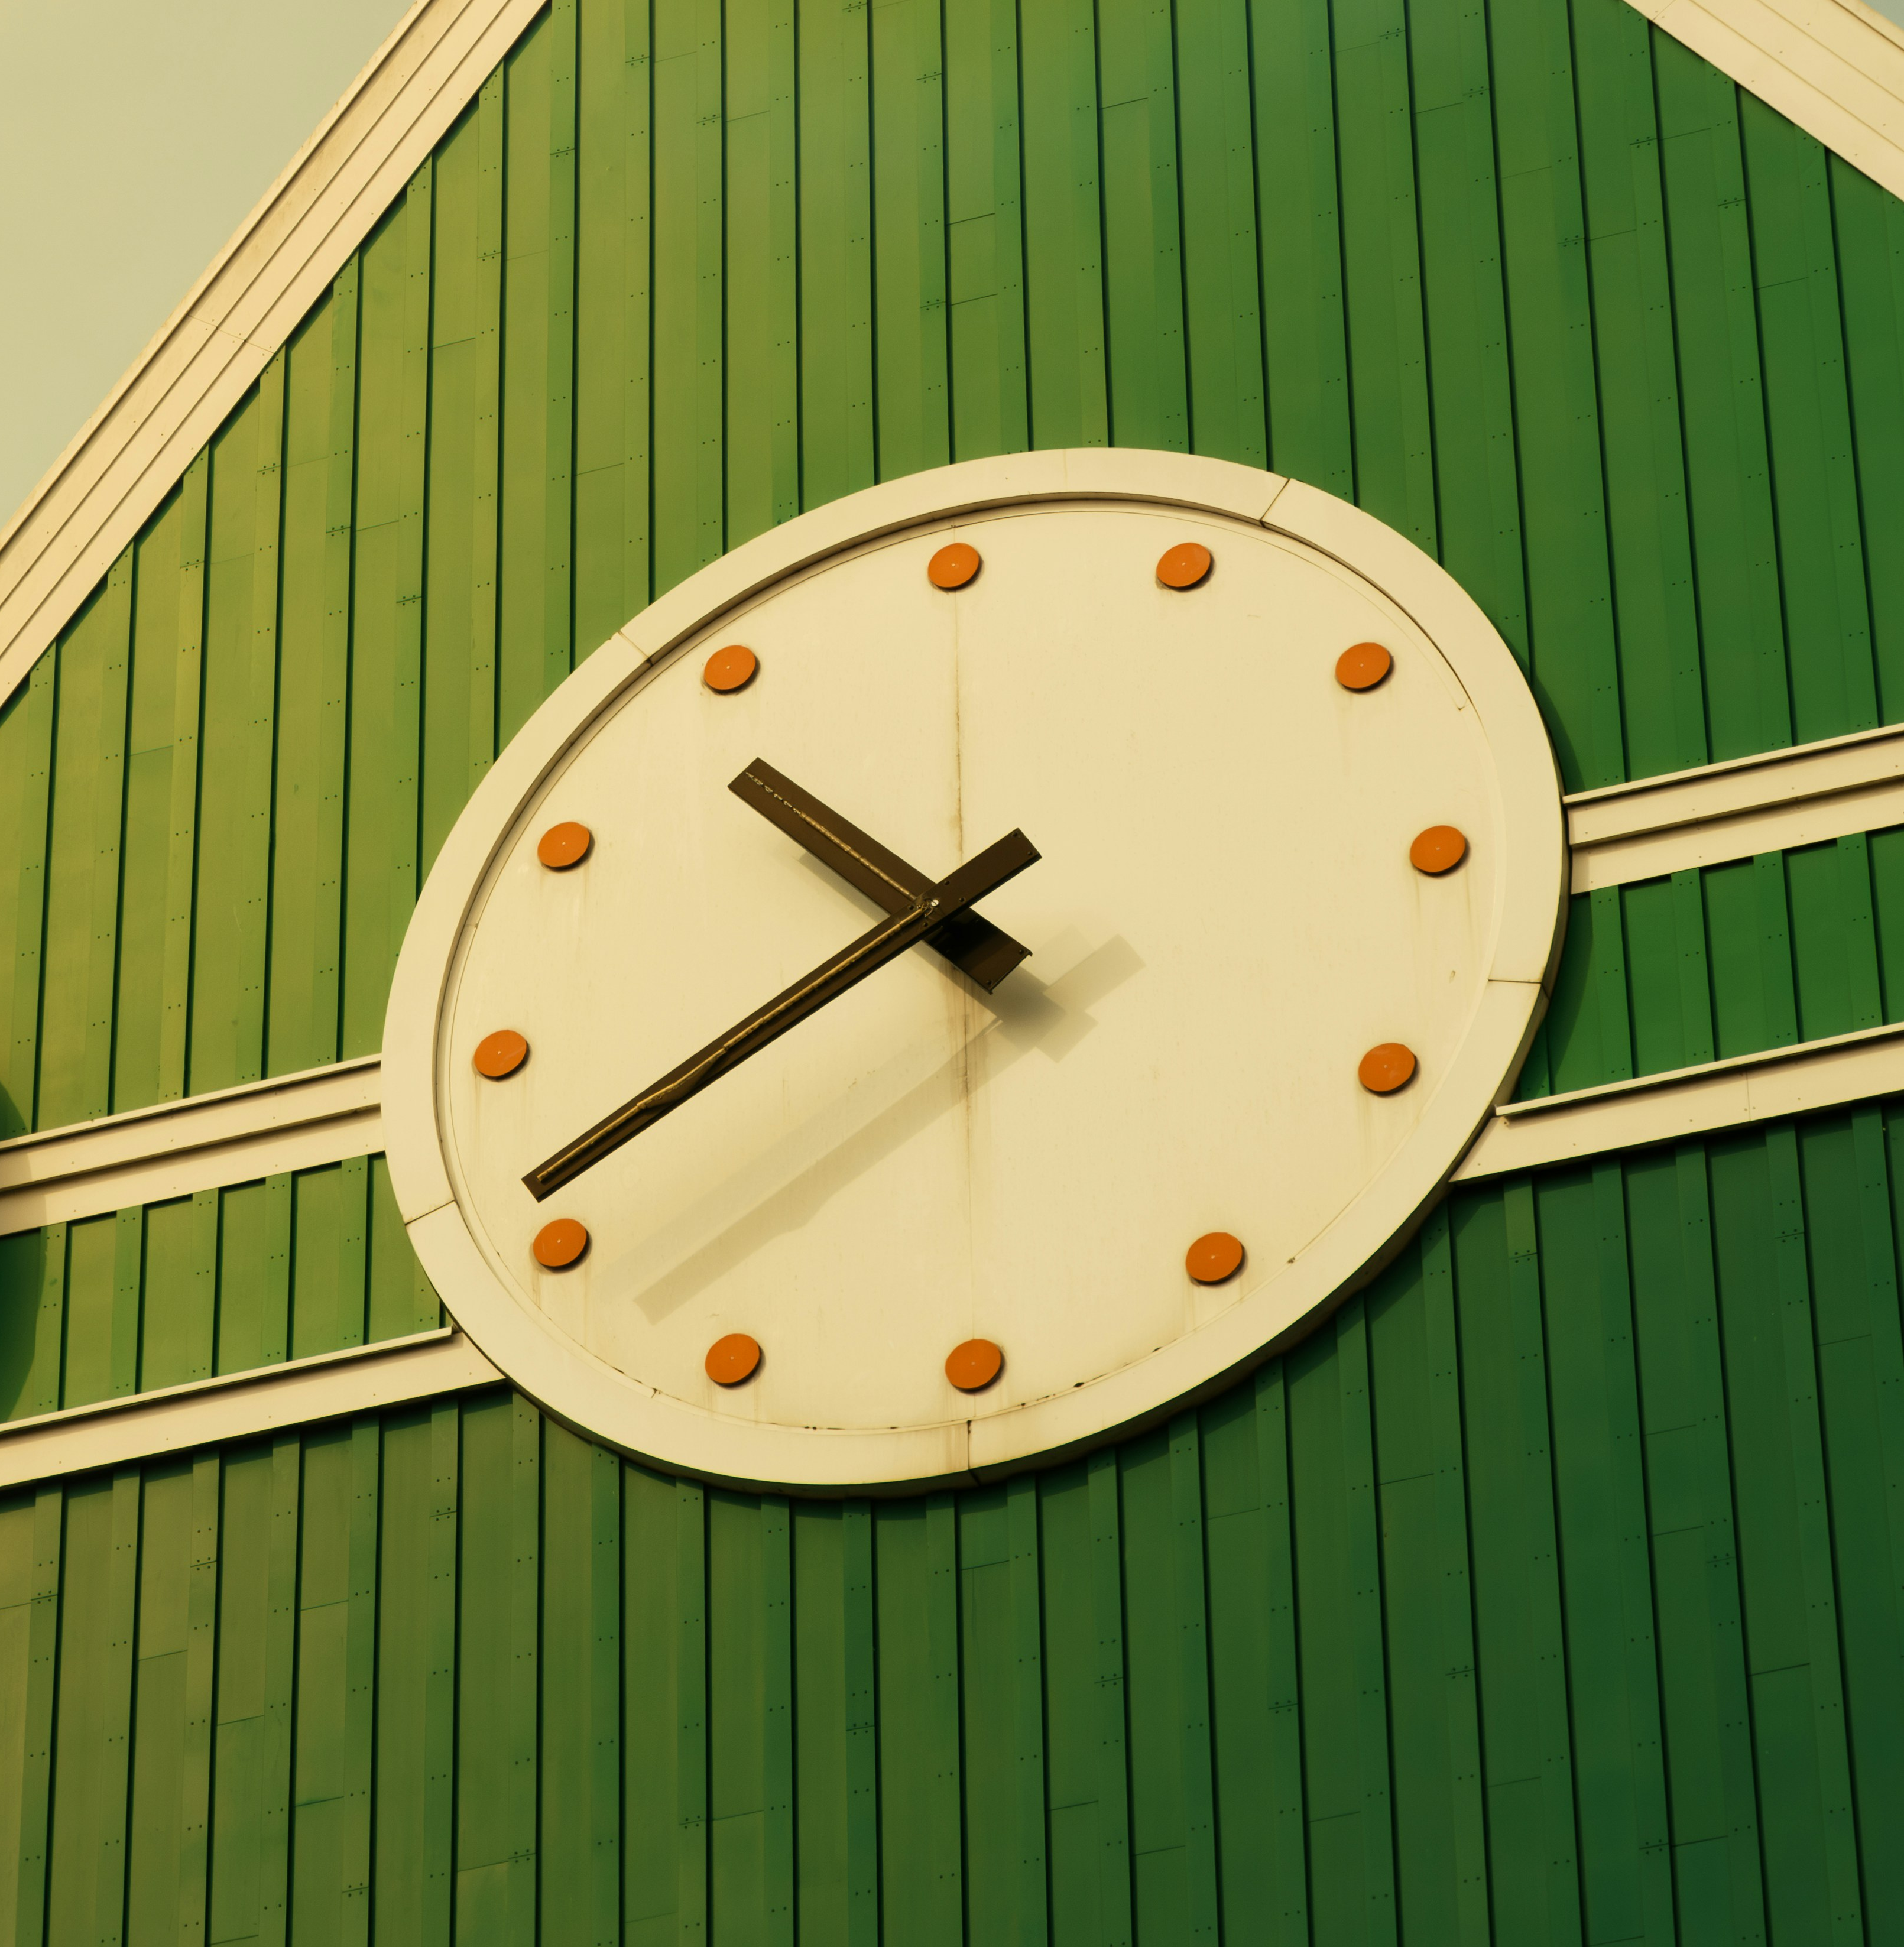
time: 10:41
